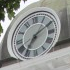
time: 7:09
